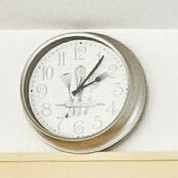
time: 2:06
